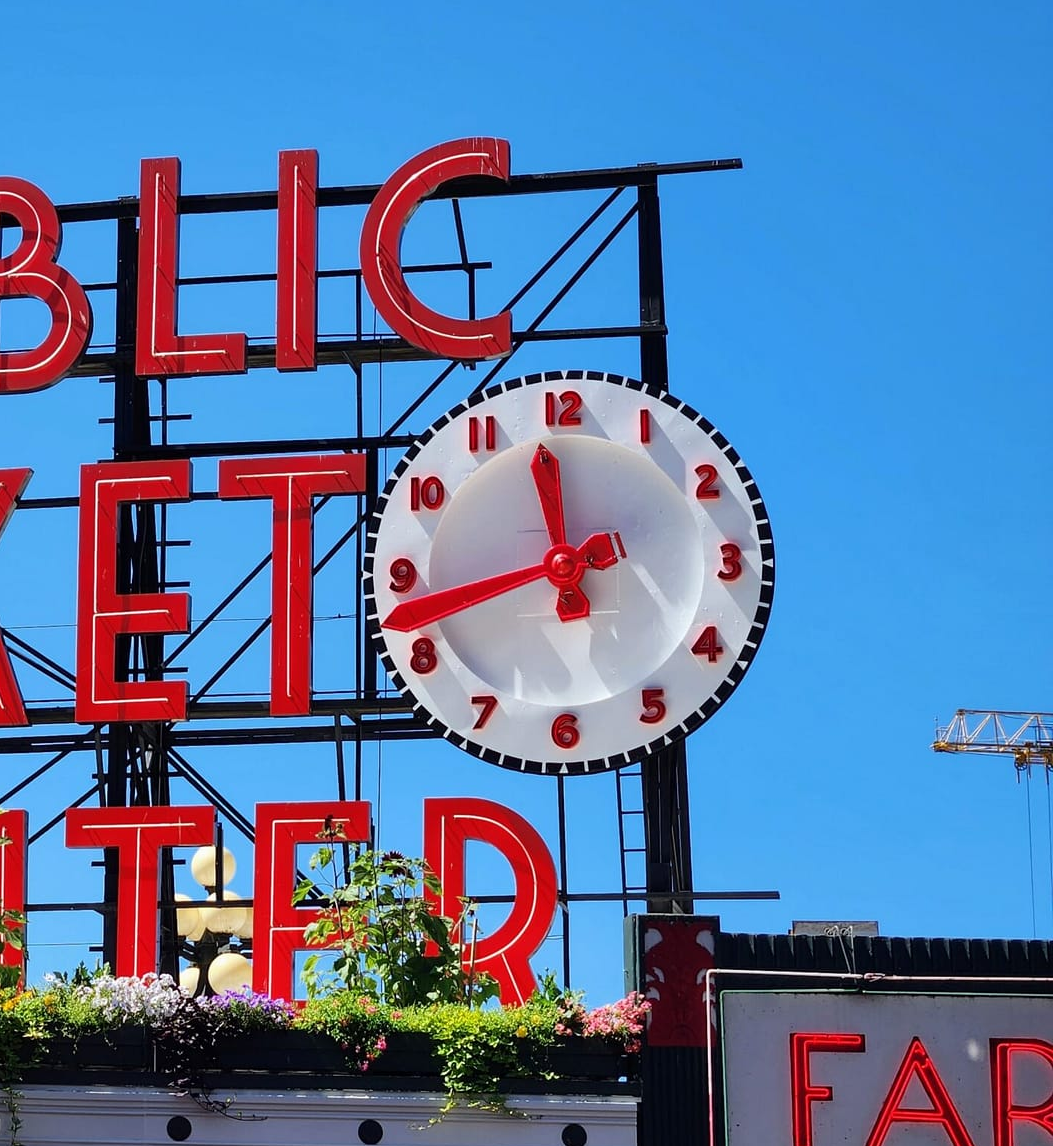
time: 11:42
